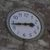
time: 2:43
